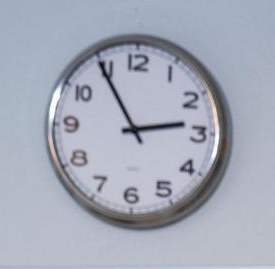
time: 2:54
